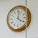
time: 4:01
